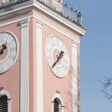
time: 1:38
